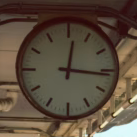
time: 12:16
